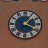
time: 1:20
